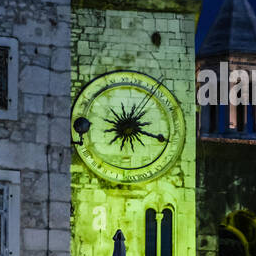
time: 1:18
